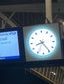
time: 8:24
